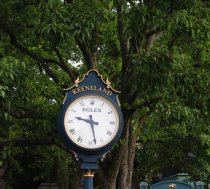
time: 9:27
